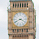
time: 3:40
